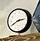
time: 2:40
